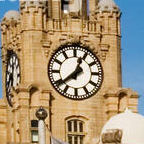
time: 12:38
